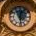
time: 12:28
